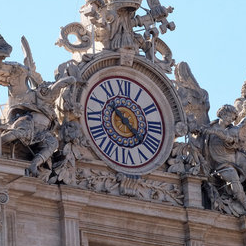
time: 10:22
